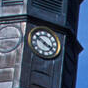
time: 3:50
